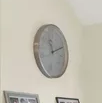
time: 11:11
